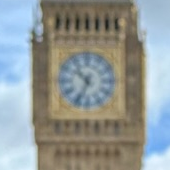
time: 10:34
